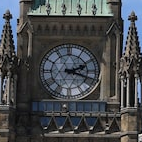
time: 2:18
